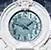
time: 1:47
